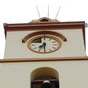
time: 7:30
